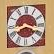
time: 8:18
